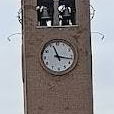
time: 11:16
